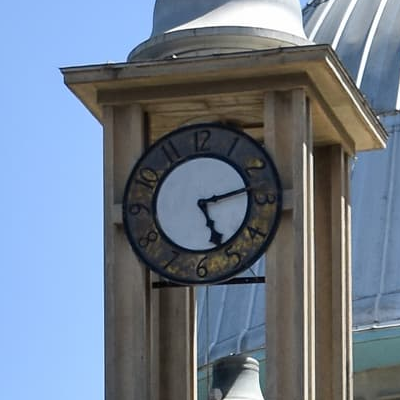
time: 5:13
